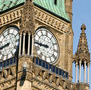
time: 8:44
